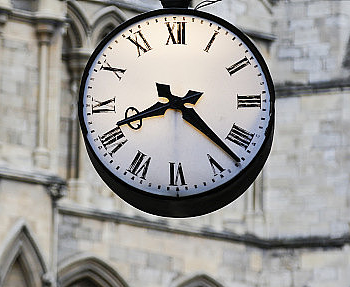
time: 8:22
